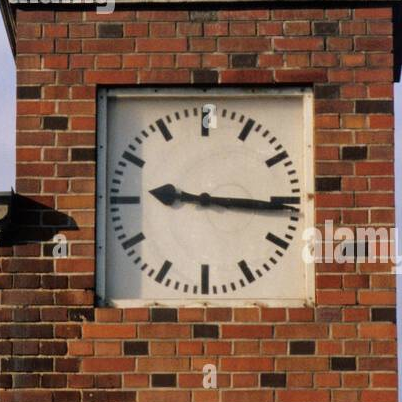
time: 9:15
